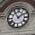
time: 1:54
